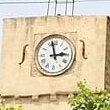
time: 2:57
